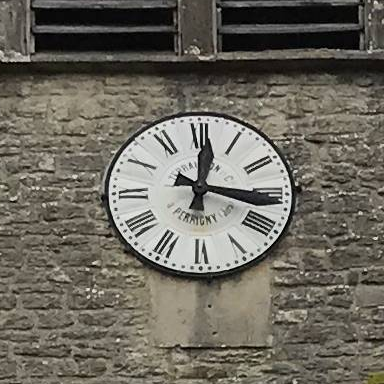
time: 12:16
